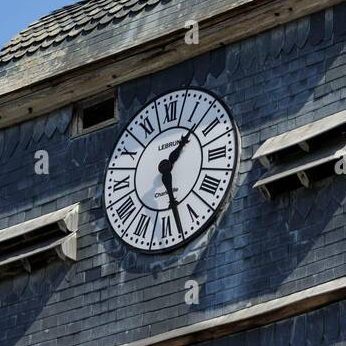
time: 1:27
